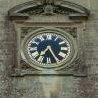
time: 7:25
